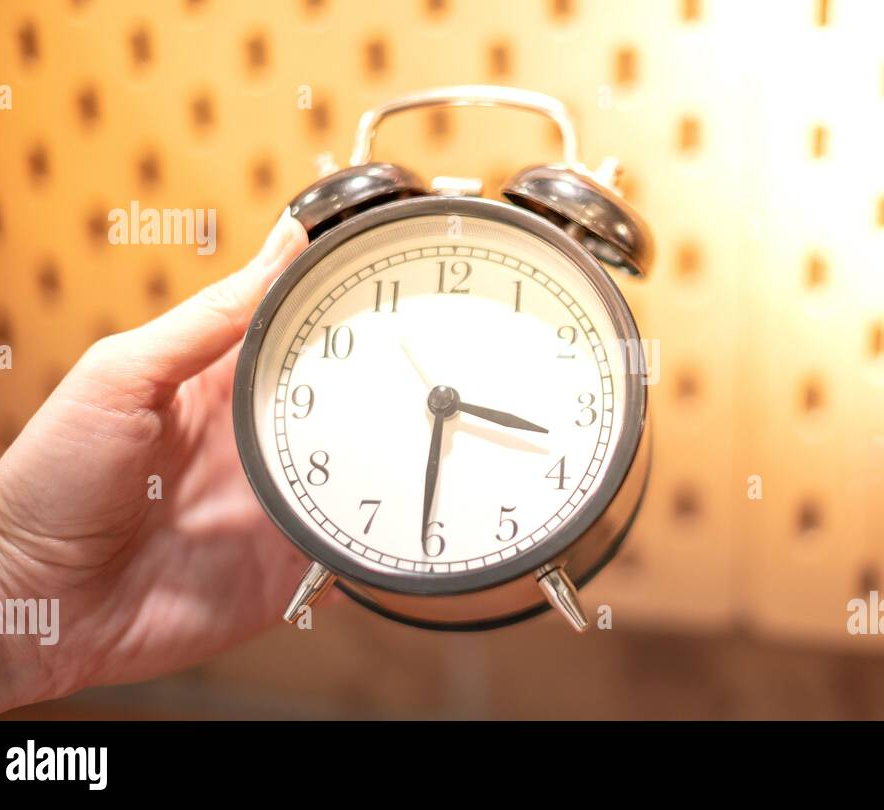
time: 3:30
